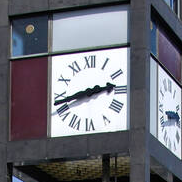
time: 2:42
